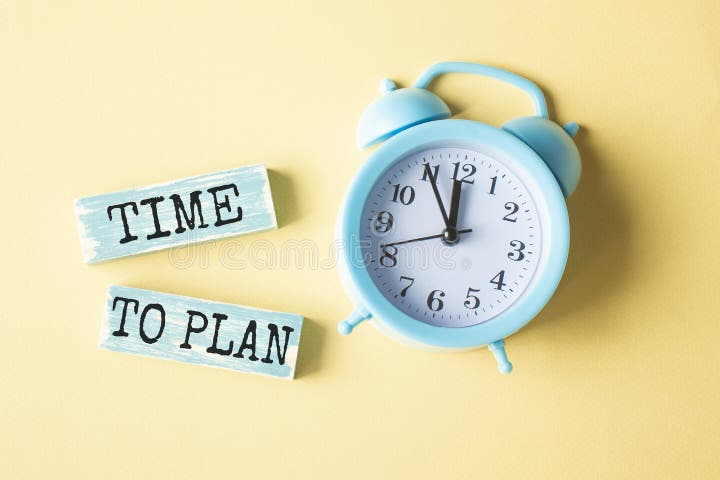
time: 11:55
